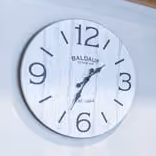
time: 1:34
